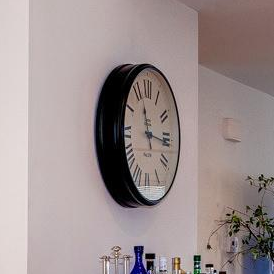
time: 11:16
